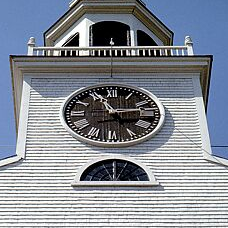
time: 11:13
